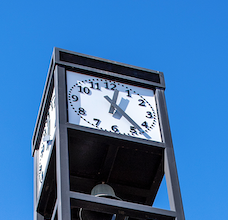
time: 12:23
